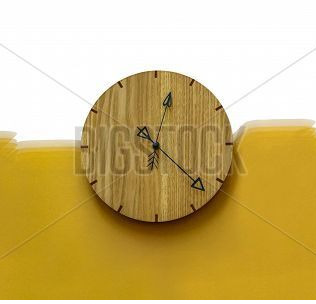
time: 12:22
